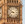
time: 8:51
